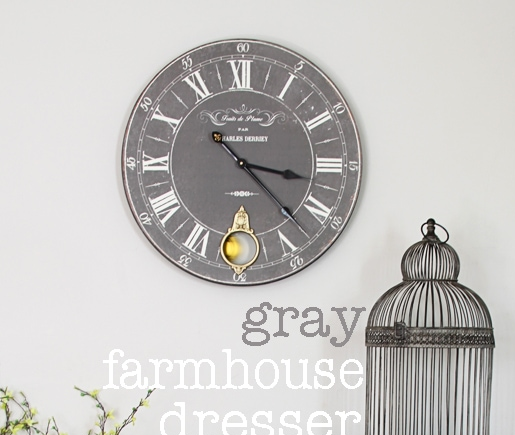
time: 3:22
